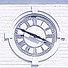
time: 3:48
